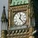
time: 12:23
